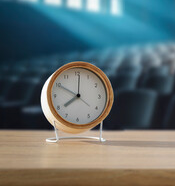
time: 7:49
